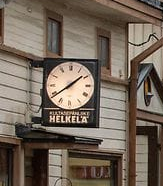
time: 1:39
